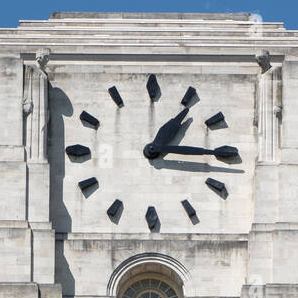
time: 1:14
